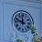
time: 11:48
